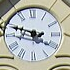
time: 9:48
